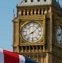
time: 8:07
